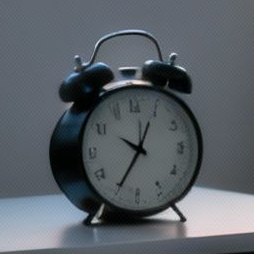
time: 12:34
